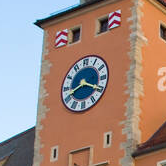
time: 8:19
